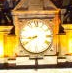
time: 8:39
